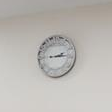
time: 2:14
